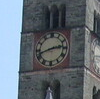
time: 2:42
